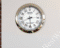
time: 5:40
